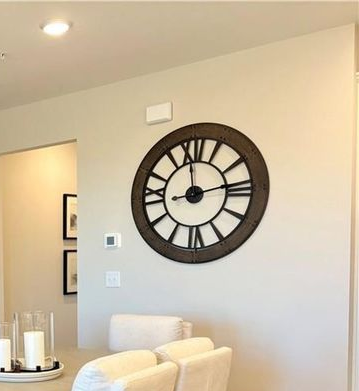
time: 12:13
